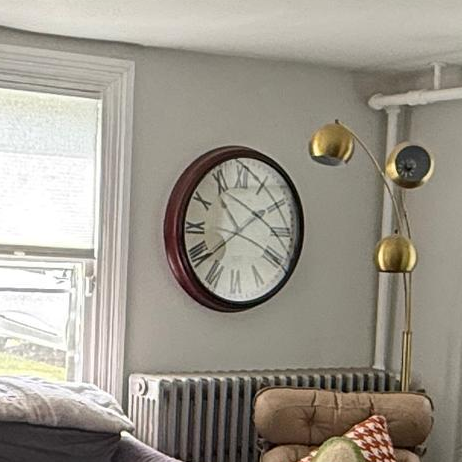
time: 10:38
